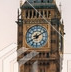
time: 8:09
